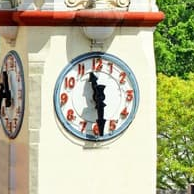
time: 11:29
